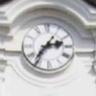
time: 2:36
